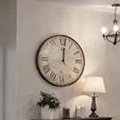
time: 12:01
